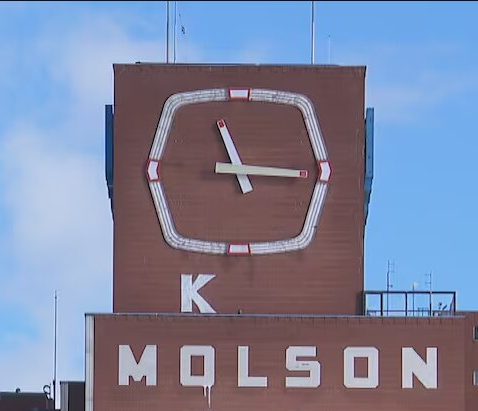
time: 11:15
